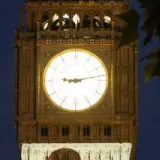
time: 9:13
